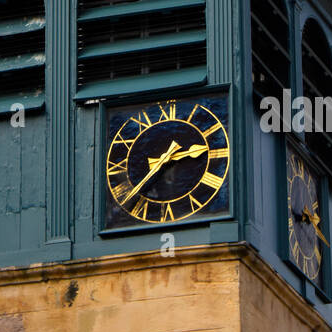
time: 2:38
